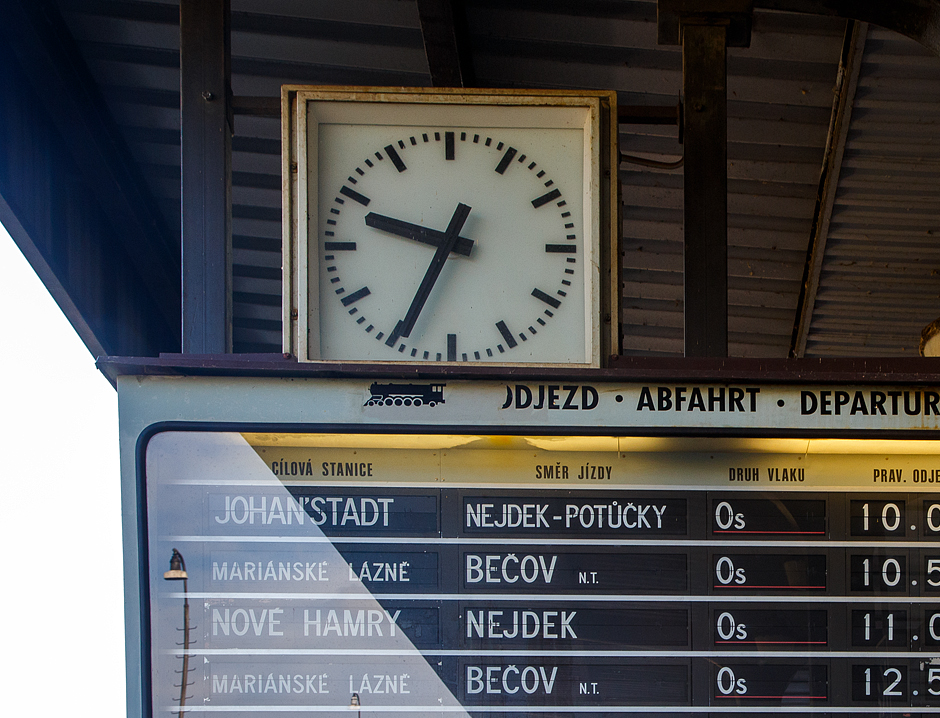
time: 9:34
